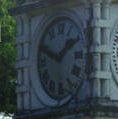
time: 1:49
